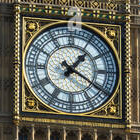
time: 1:20
